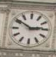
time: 2:50
